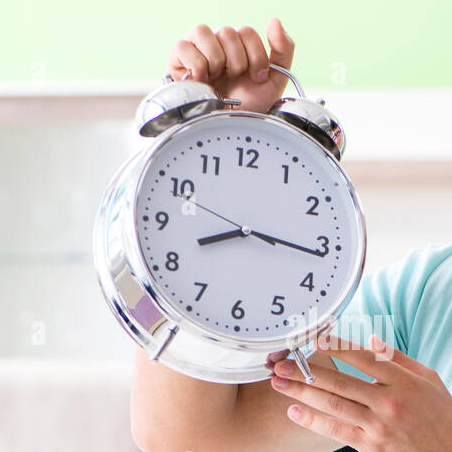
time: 8:16
